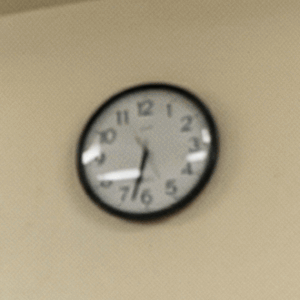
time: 6:32
